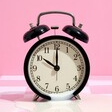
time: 10:00
